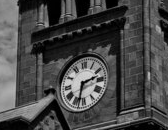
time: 2:32
